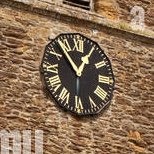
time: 12:53
